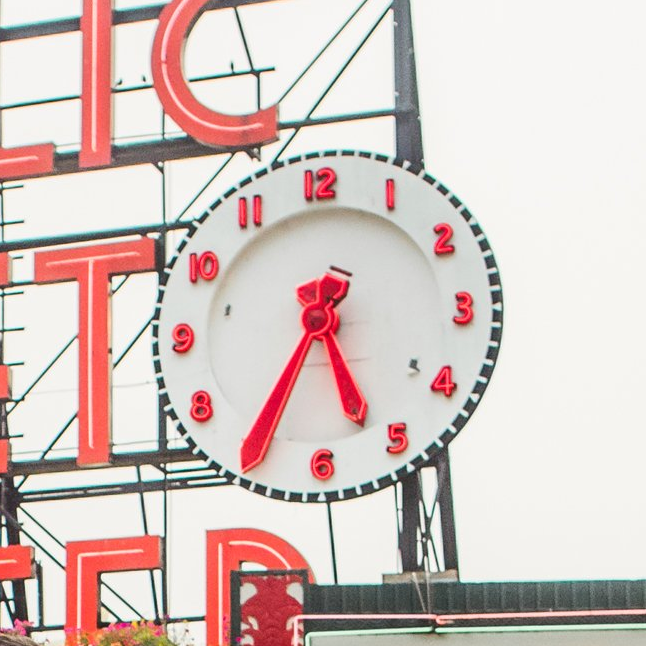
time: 5:35
